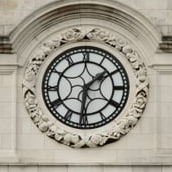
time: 1:30
